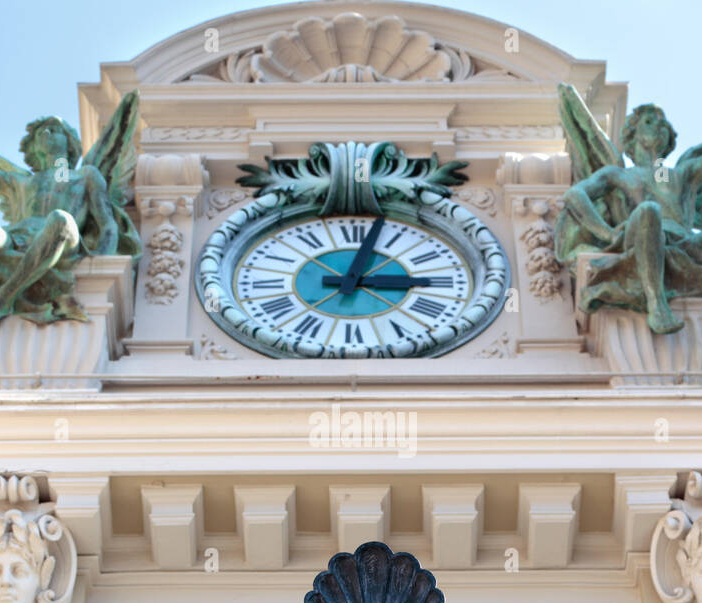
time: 3:02
